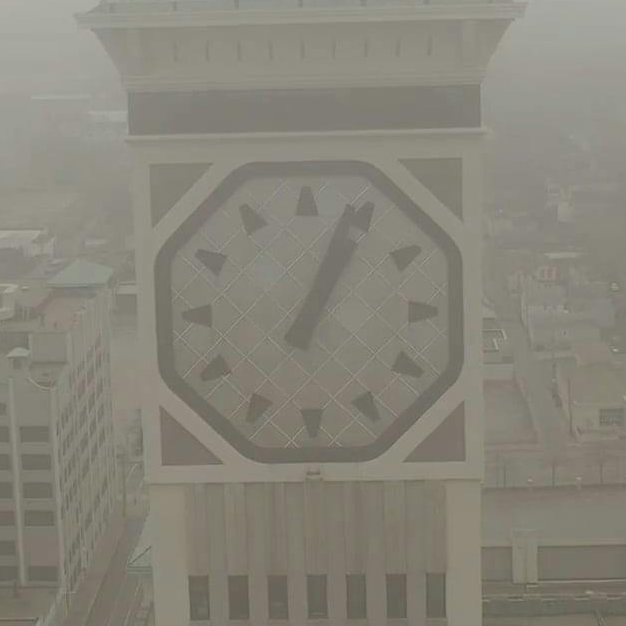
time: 1:04
